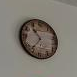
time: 10:36
